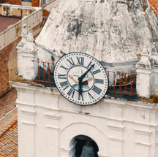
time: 6:06
